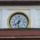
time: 7:32
